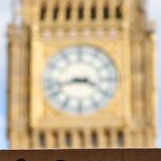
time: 3:42
